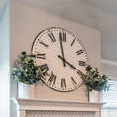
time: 3:58
